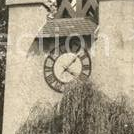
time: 4:08
